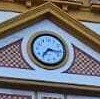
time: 7:16
